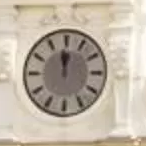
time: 11:58
